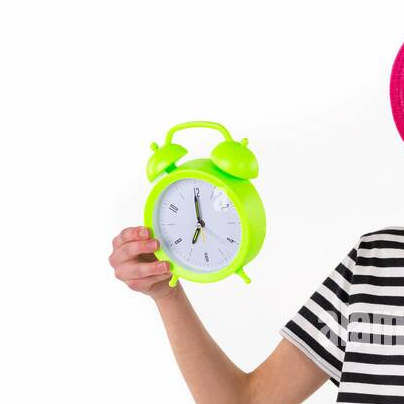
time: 6:59
